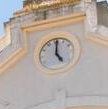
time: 5:00
